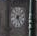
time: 5:08
